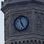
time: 4:57
